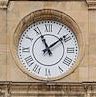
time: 11:08
